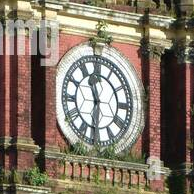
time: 11:32
